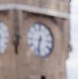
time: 6:32
